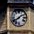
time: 1:39
